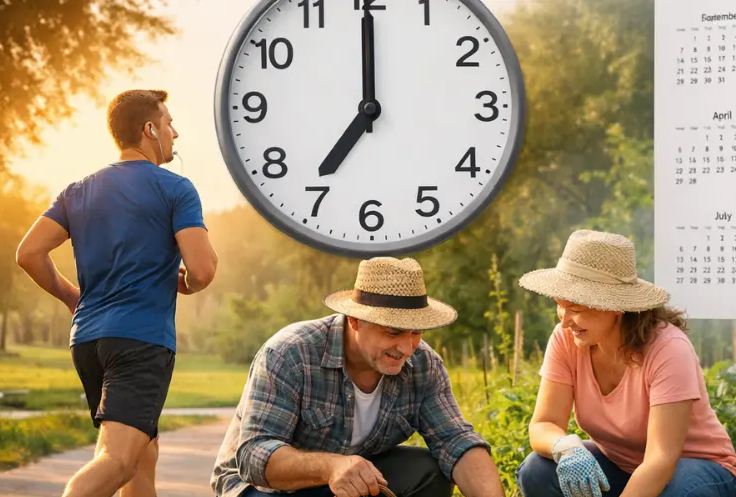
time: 7:00
